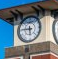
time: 5:45
